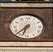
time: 6:37
